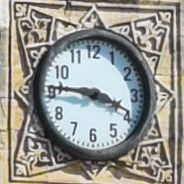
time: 3:46
